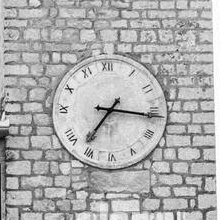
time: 7:16
